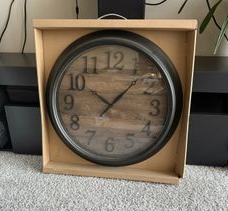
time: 10:07
